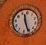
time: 11:25
